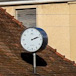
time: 2:12
